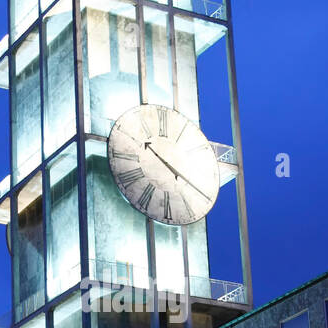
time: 10:20
